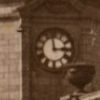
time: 2:58
